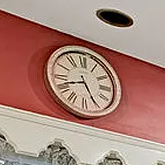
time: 8:25
